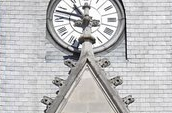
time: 10:47
